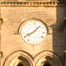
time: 8:07
